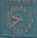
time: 8:38
